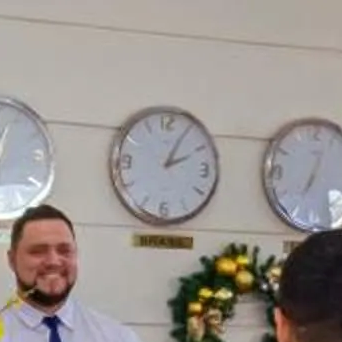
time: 2:04
